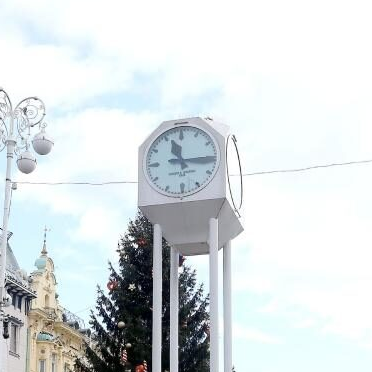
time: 11:15
